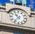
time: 10:36
